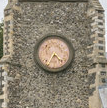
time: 4:35
